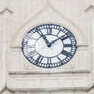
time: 11:08
